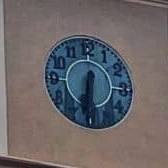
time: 6:32
